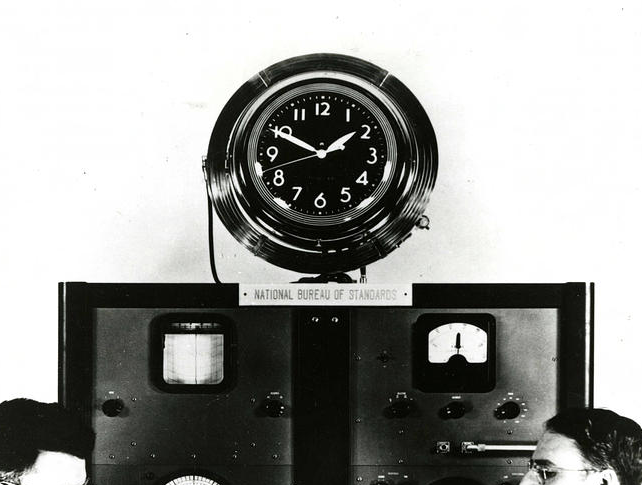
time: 1:49
